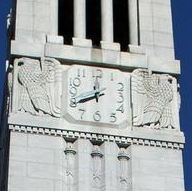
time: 8:00
